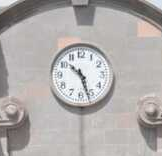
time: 10:26
